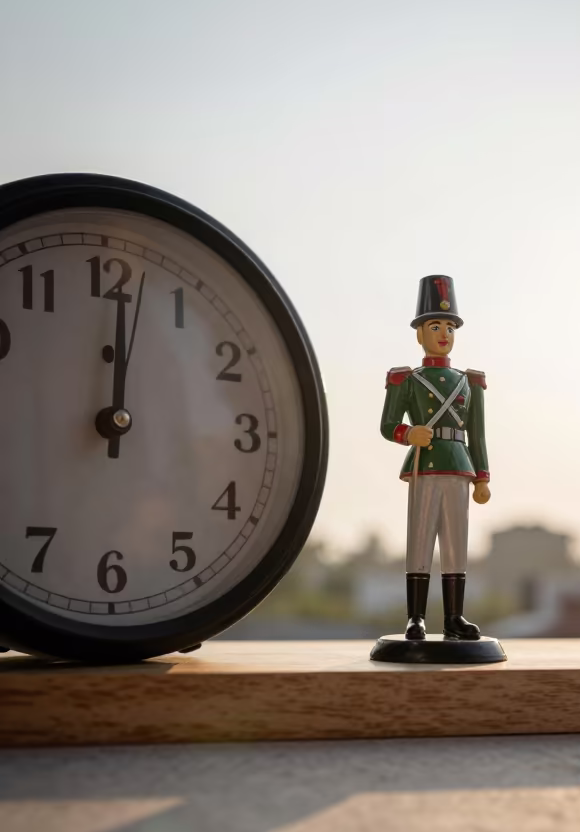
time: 12:01
